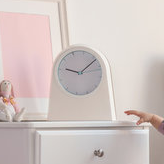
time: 9:07
